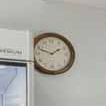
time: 1:48
